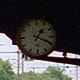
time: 1:18
